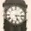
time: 5:15
